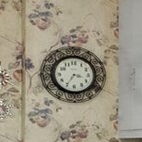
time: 3:34
